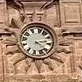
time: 4:13
